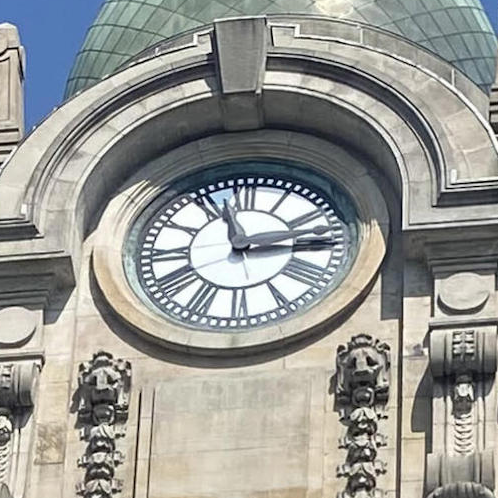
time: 2:57
